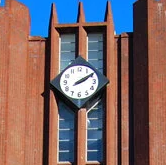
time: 2:09
